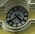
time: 4:38
